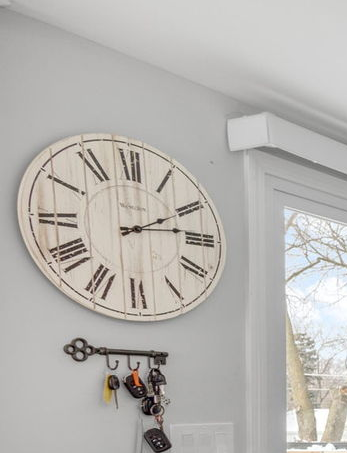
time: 2:13
